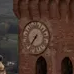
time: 7:36
